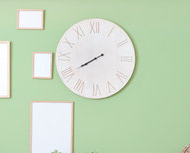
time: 7:39
